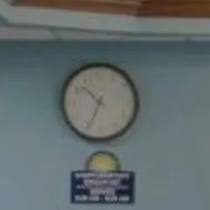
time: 10:34
